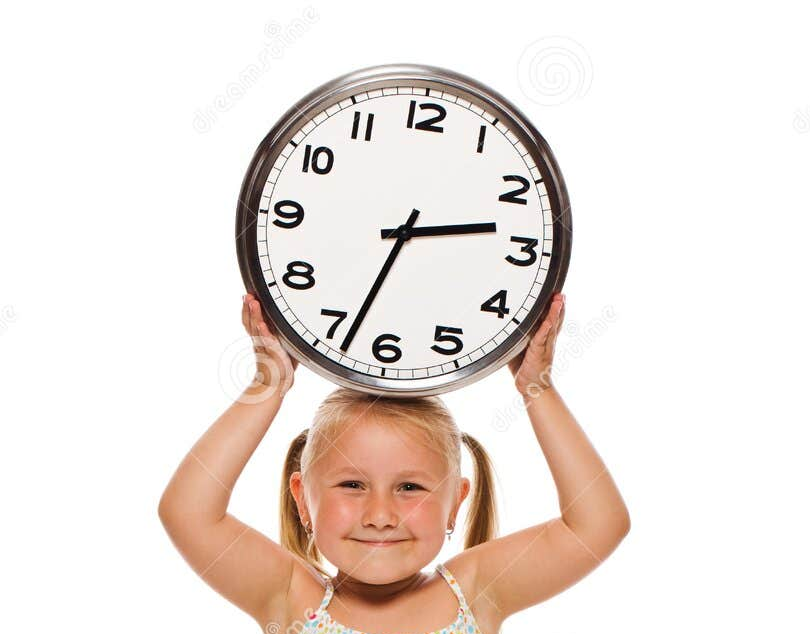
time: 2:33
